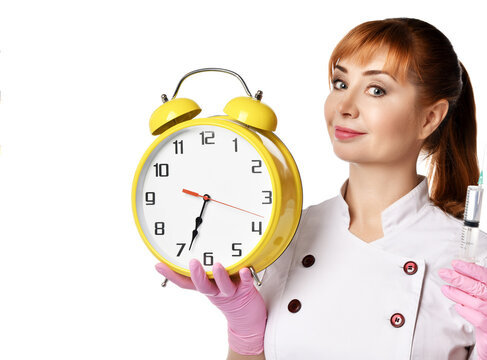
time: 6:33
